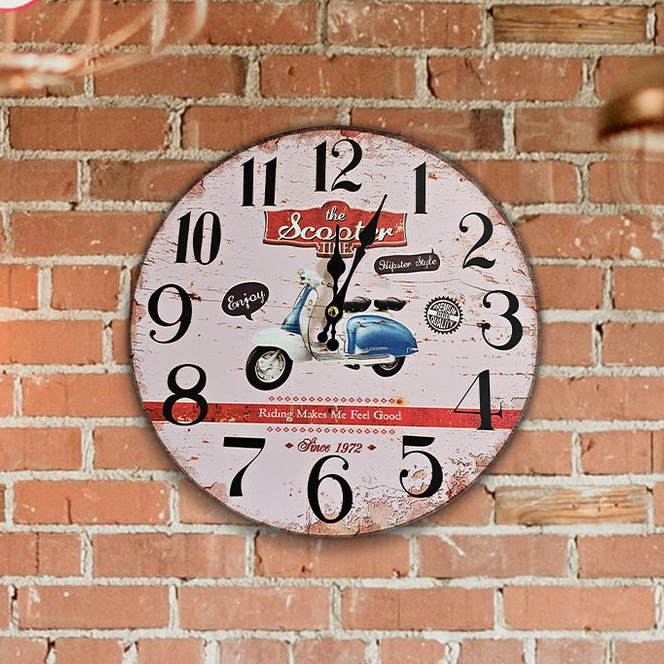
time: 12:03
